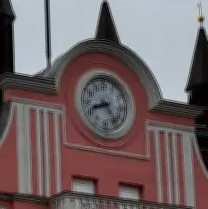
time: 8:23
